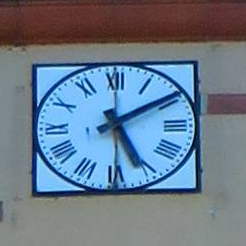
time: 5:09
